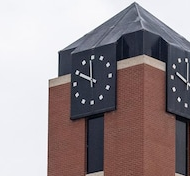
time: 9:59
